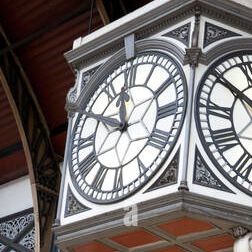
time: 11:49
